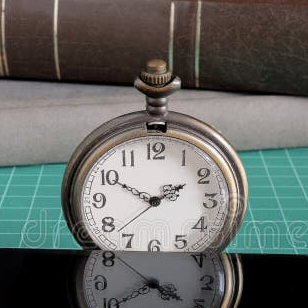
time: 1:50
